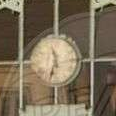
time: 11:32
